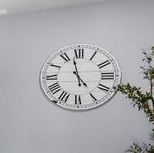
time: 4:57
